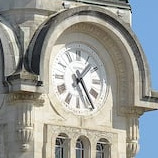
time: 1:24
